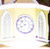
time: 7:52
